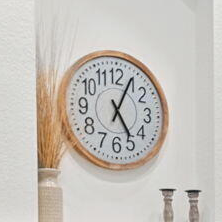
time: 5:04
